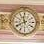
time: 11:40
